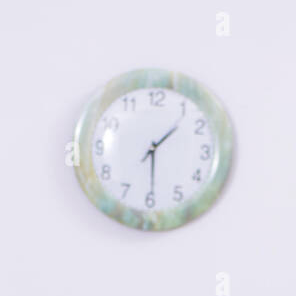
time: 1:29
